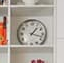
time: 1:17
